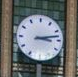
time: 3:12
